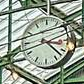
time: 3:22
